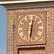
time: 6:01
